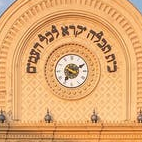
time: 7:10
